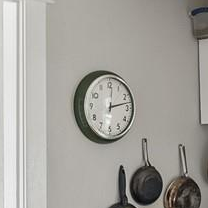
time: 12:12
